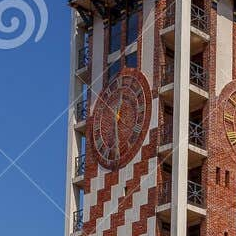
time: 12:28
